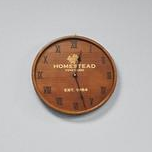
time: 12:27
